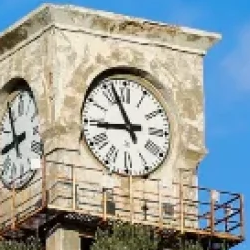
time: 8:56
